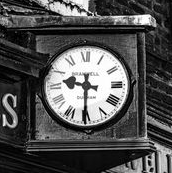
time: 9:30
